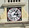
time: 3:06
